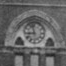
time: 8:57
